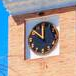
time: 11:51
